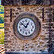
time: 12:52
